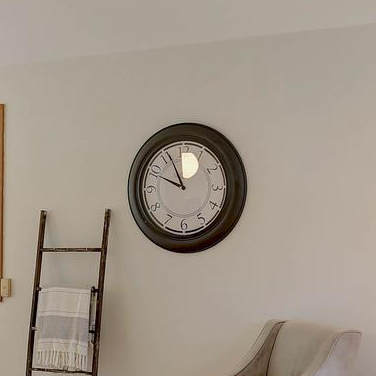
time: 9:55
